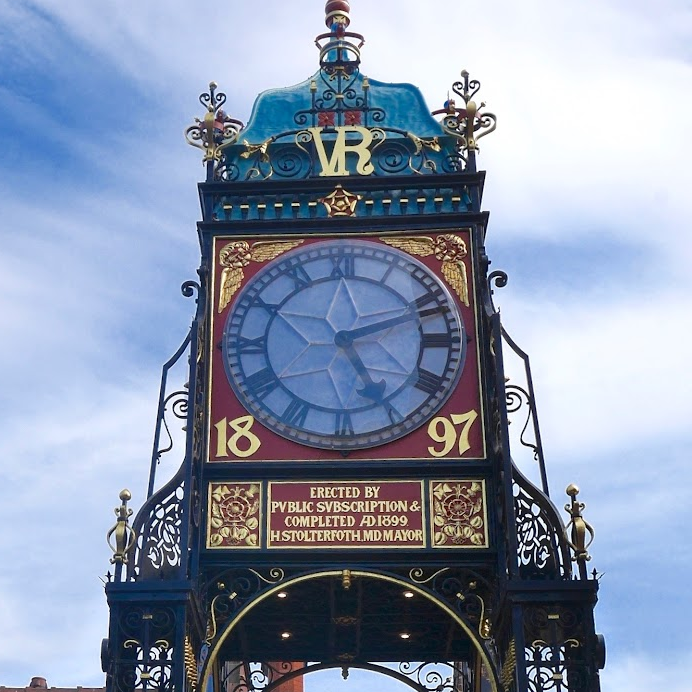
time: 5:11
